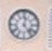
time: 12:23
